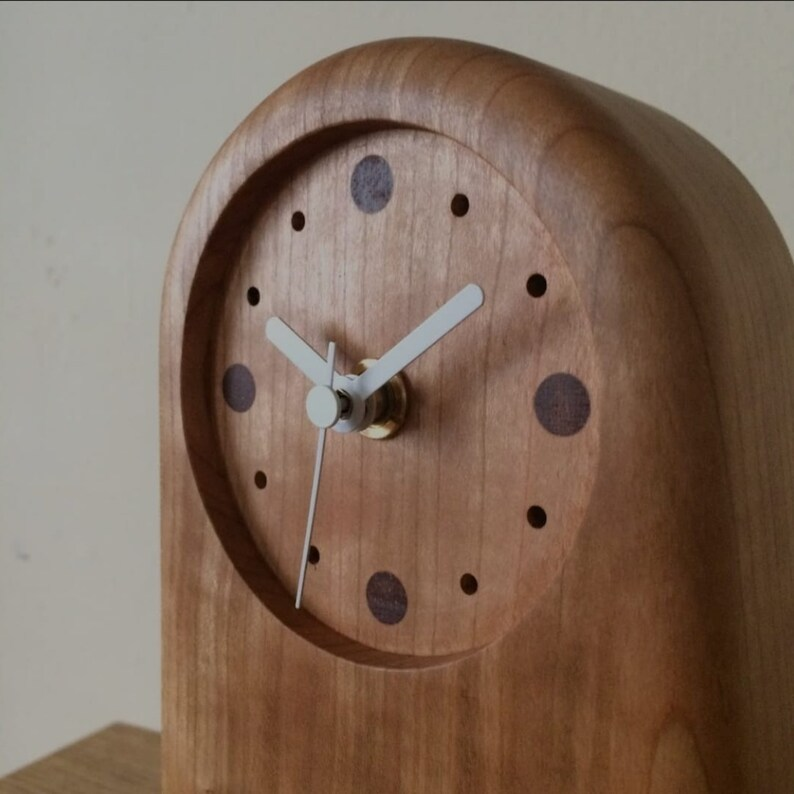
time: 1:50
